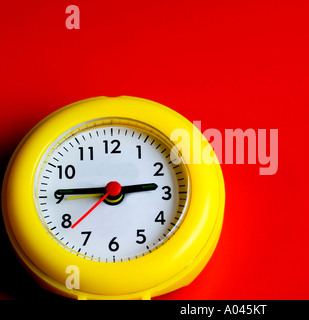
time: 2:45
